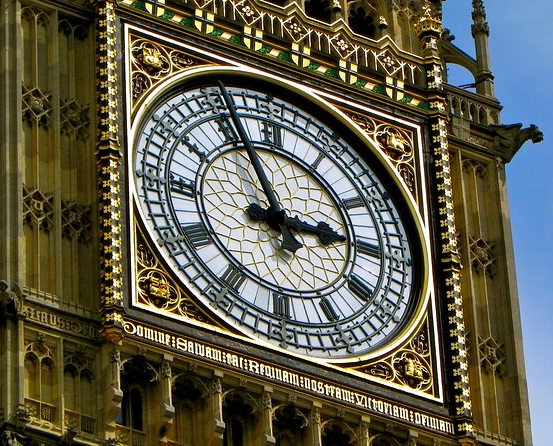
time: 2:56
